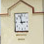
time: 2:57
